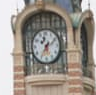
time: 5:35
